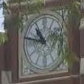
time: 10:47
